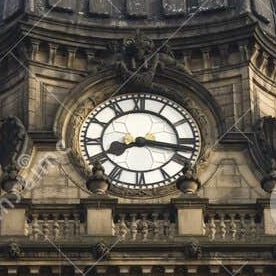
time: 8:16
